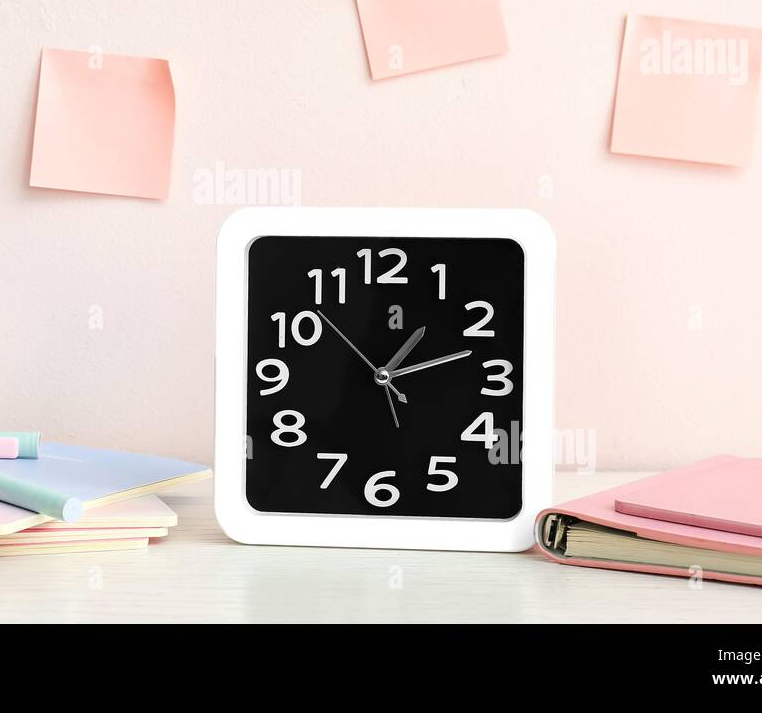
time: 1:12
